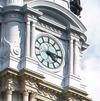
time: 4:14
